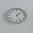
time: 1:25
